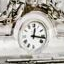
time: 12:16
